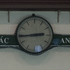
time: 2:44
